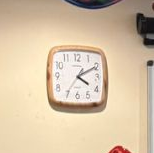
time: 4:10
